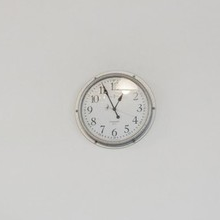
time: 12:56
